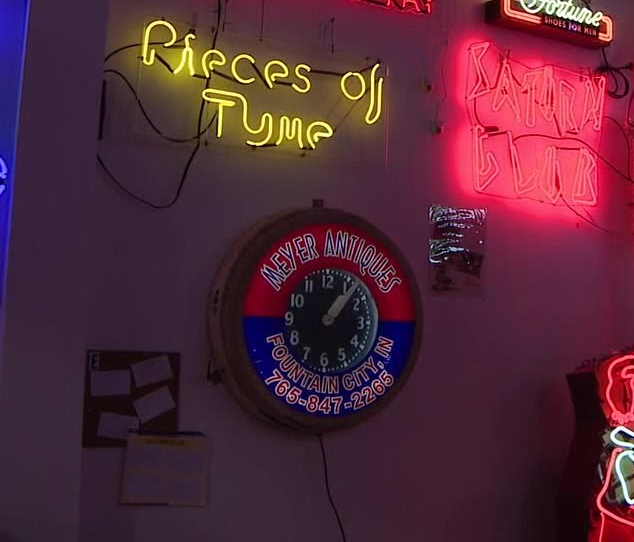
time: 1:06
